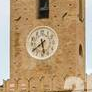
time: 5:38
